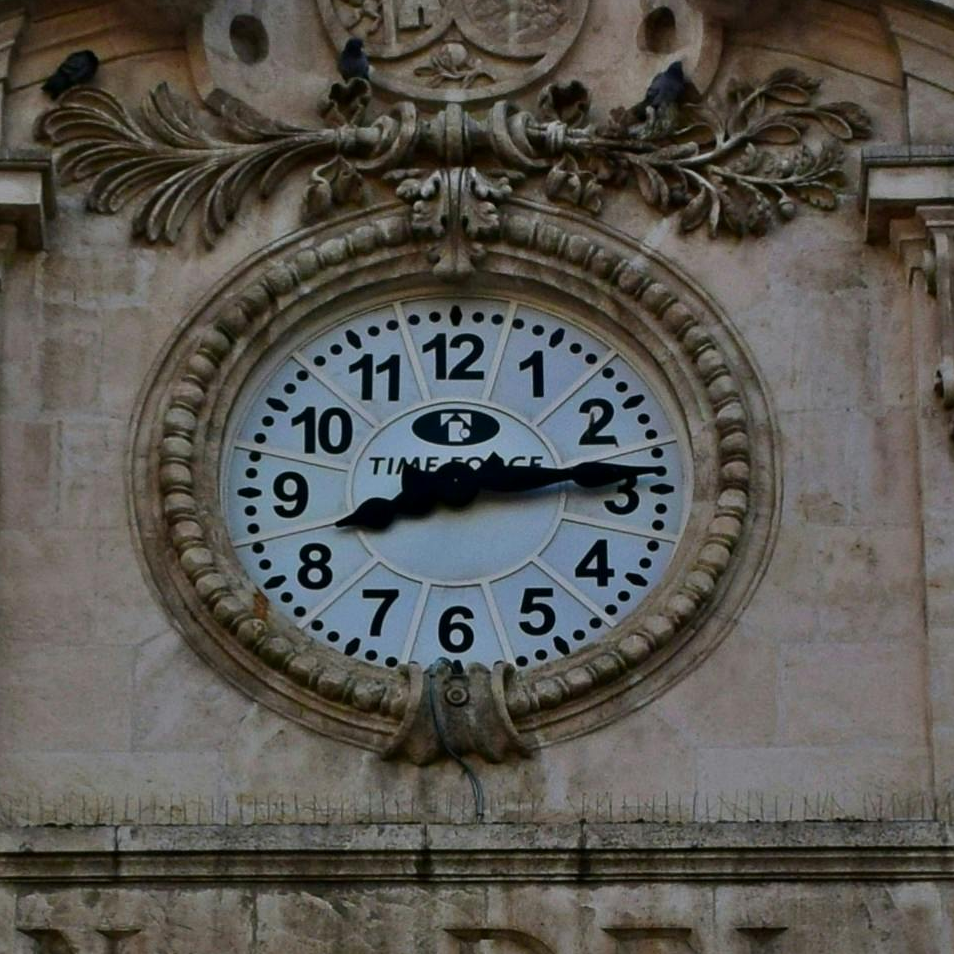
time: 8:14
